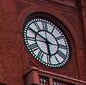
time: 5:49
